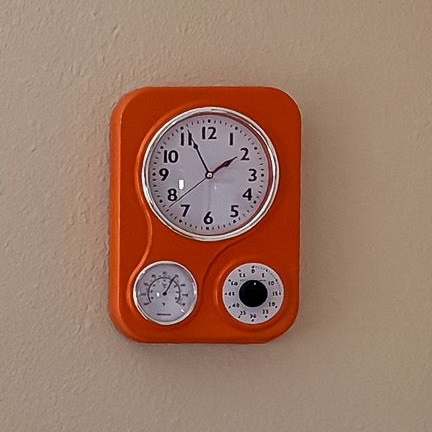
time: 1:56
